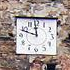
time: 11:48
